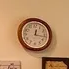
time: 12:16
